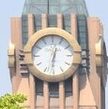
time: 12:31
